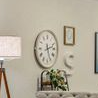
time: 2:26
